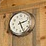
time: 2:26
